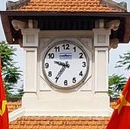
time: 9:36
